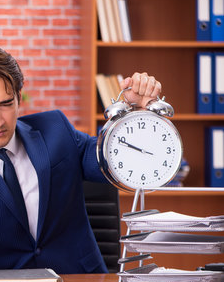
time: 9:49
